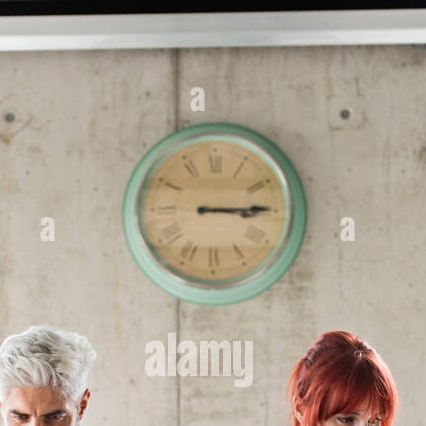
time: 3:14
